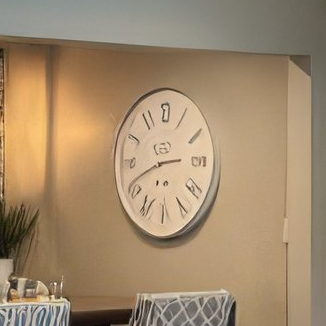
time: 2:41
